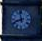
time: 11:41
